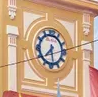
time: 7:28
